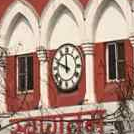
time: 11:48
